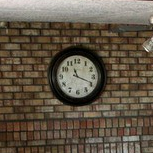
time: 11:18
